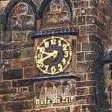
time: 9:40
